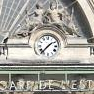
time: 1:36
